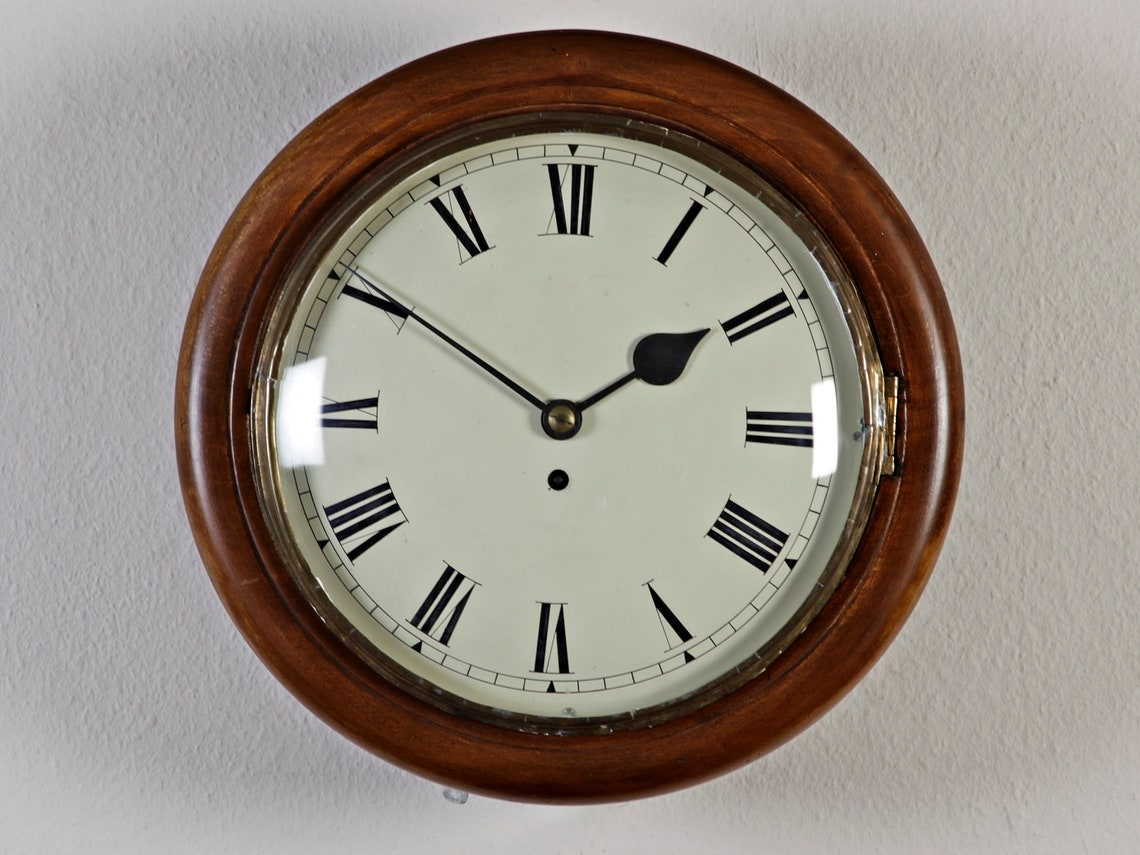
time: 1:50
